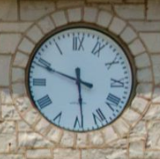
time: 5:48
